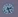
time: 2:26
